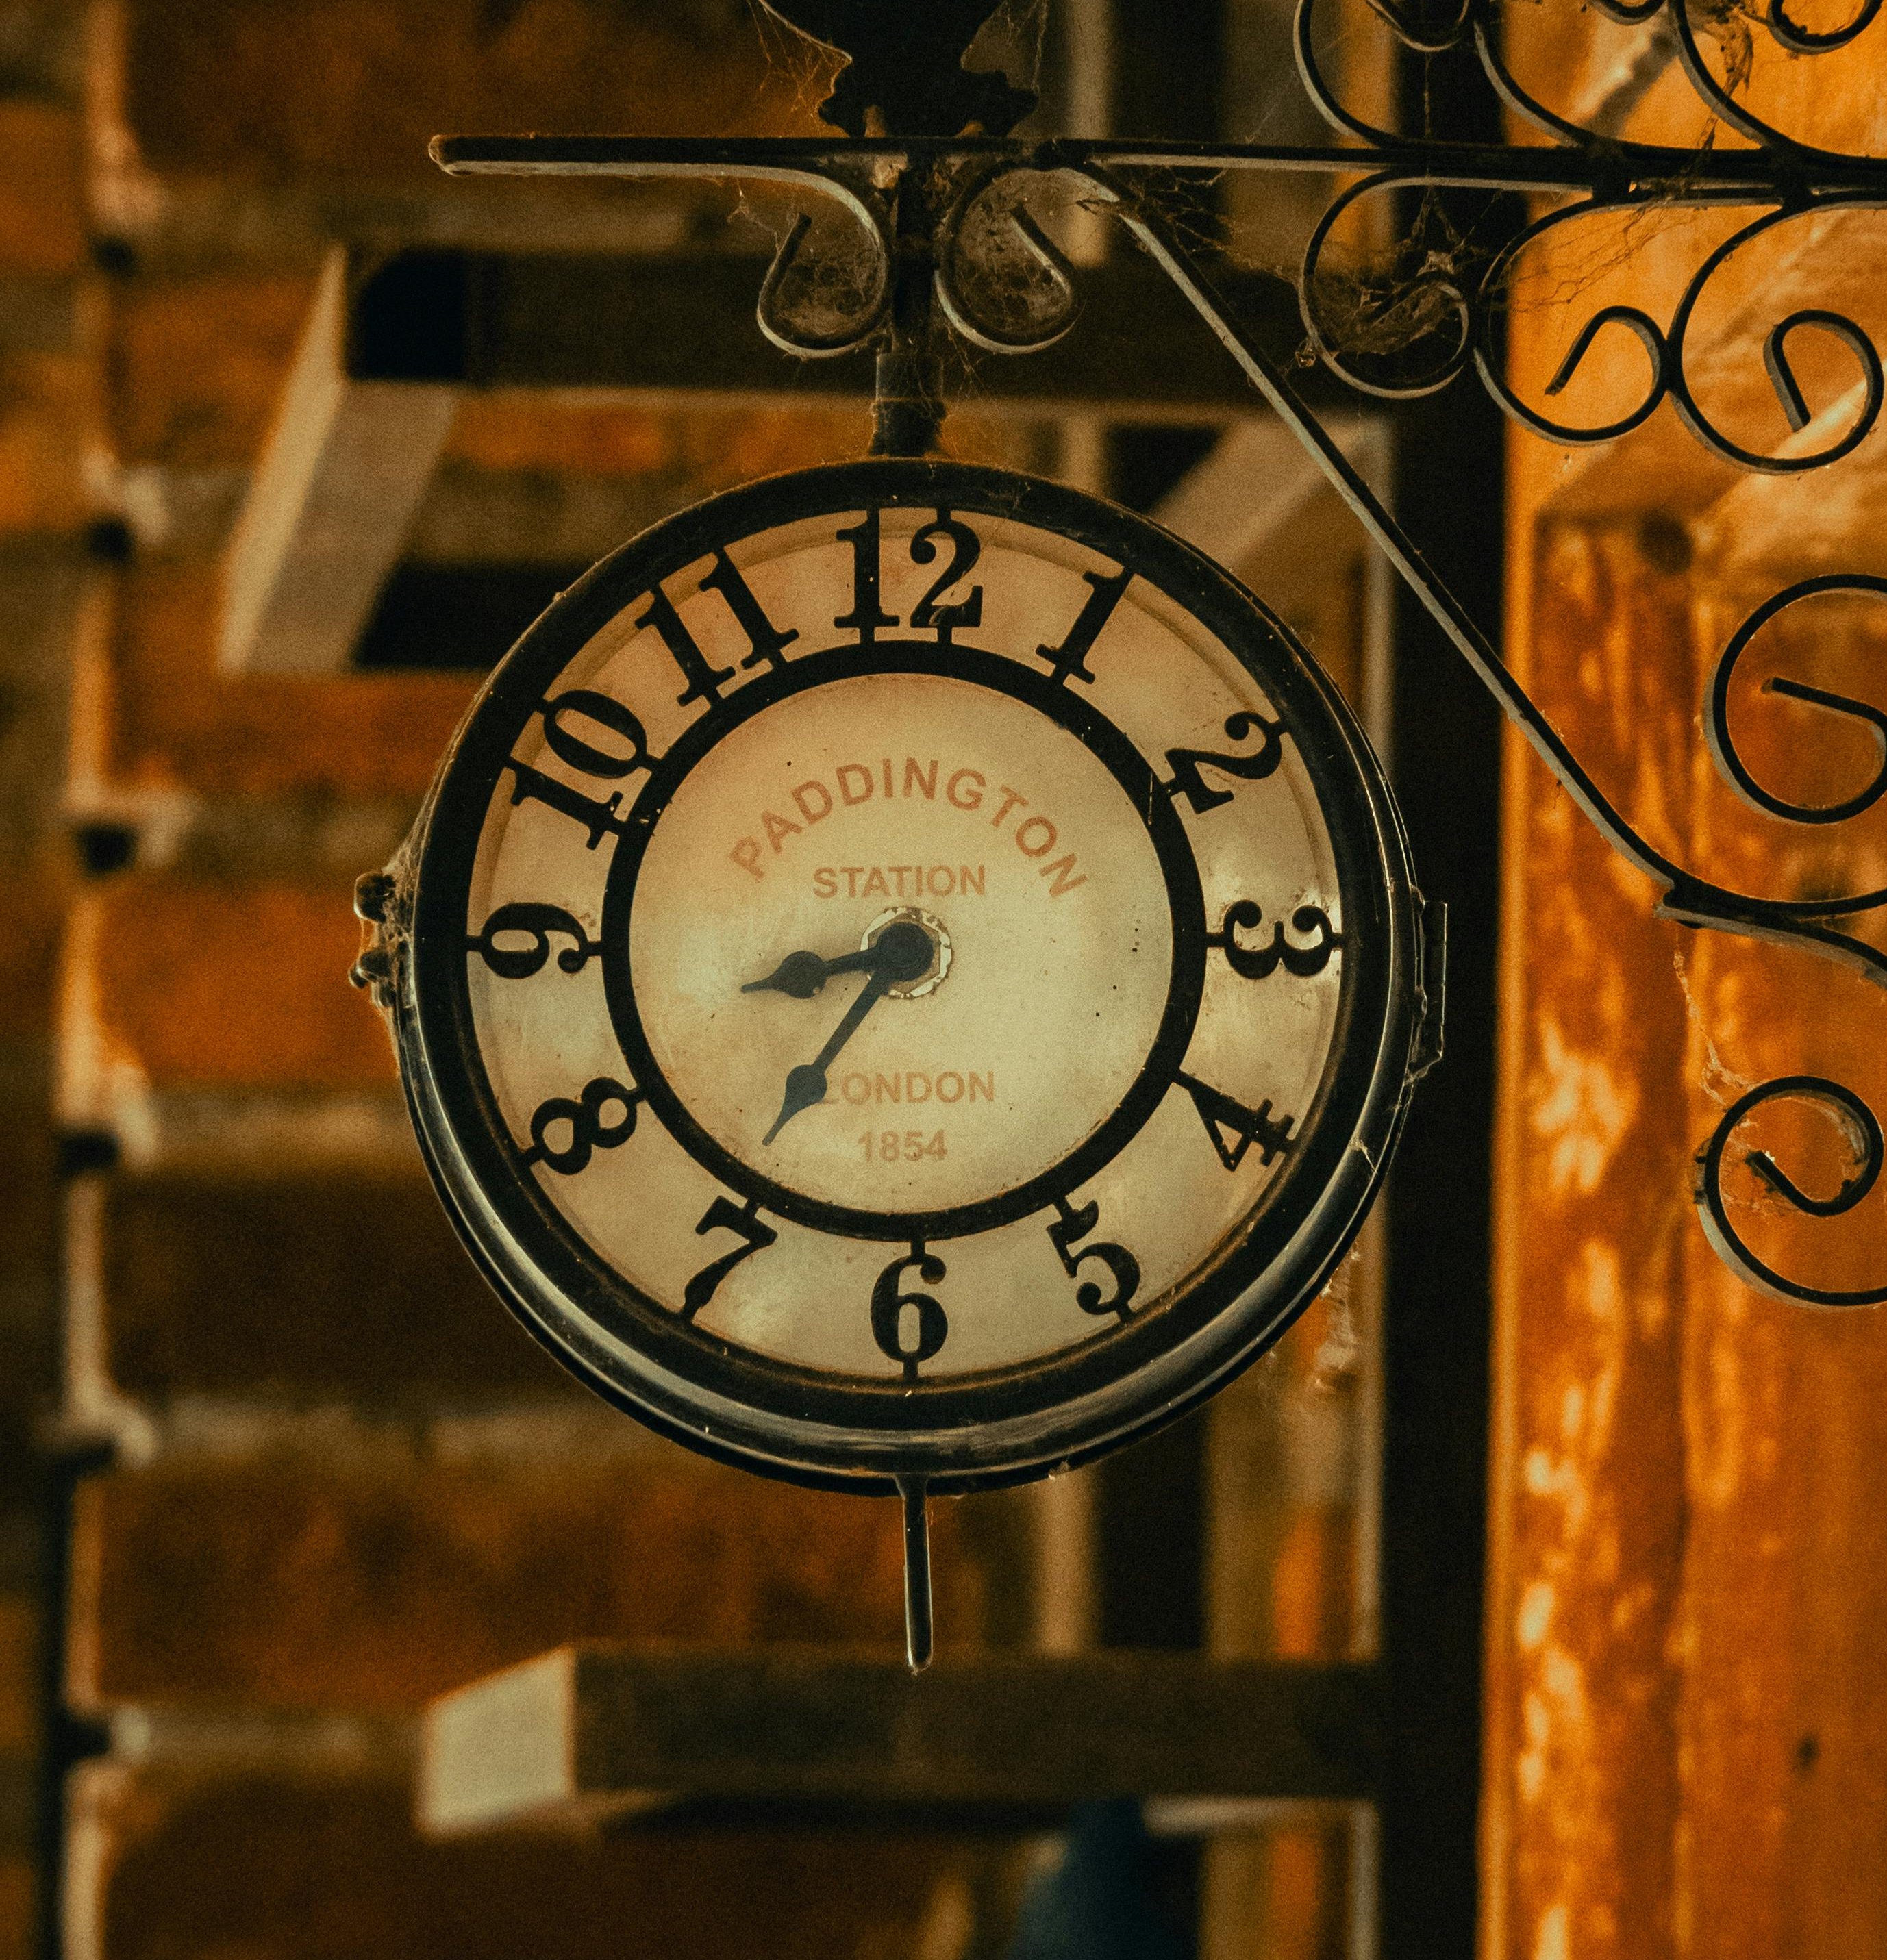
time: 8:36
